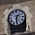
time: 1:30
